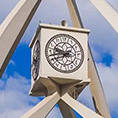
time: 9:42
